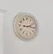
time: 2:15
